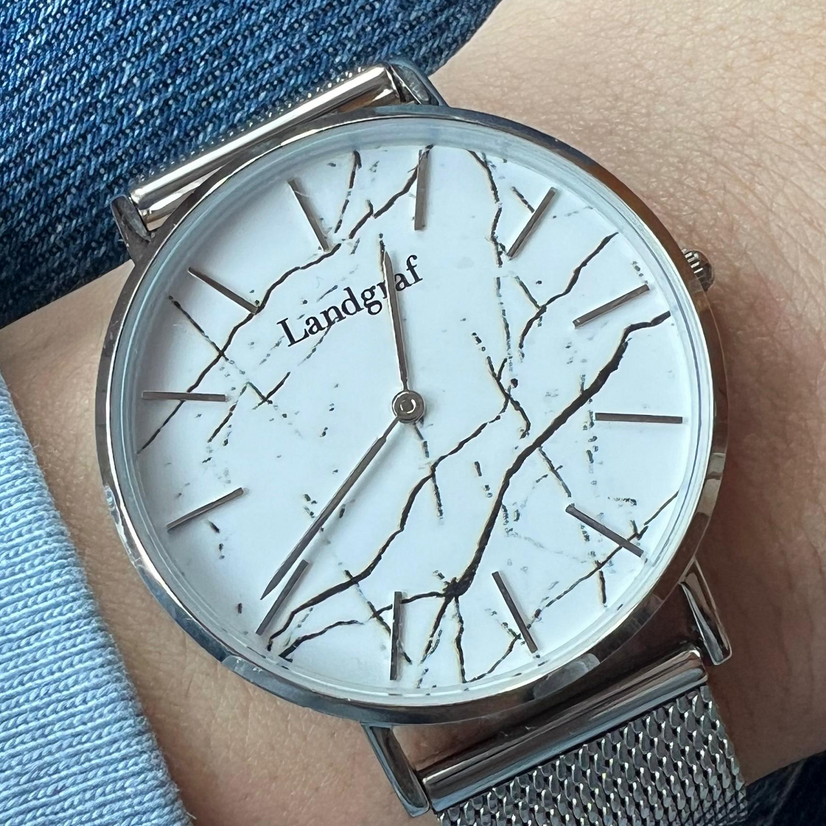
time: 11:35
